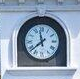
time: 11:38
